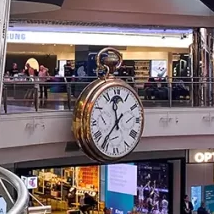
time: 11:36
